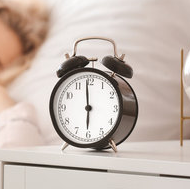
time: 5:59
